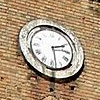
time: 2:28
